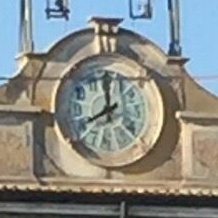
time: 7:59
